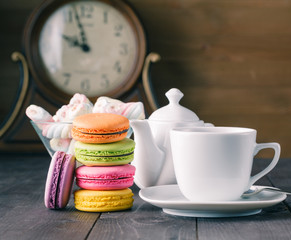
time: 9:57
